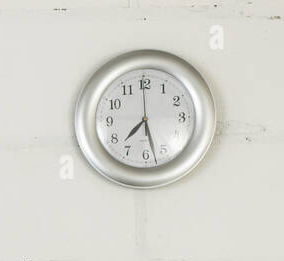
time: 7:27
